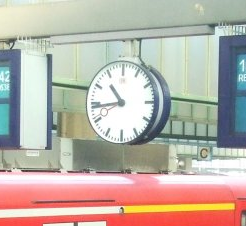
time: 10:43
